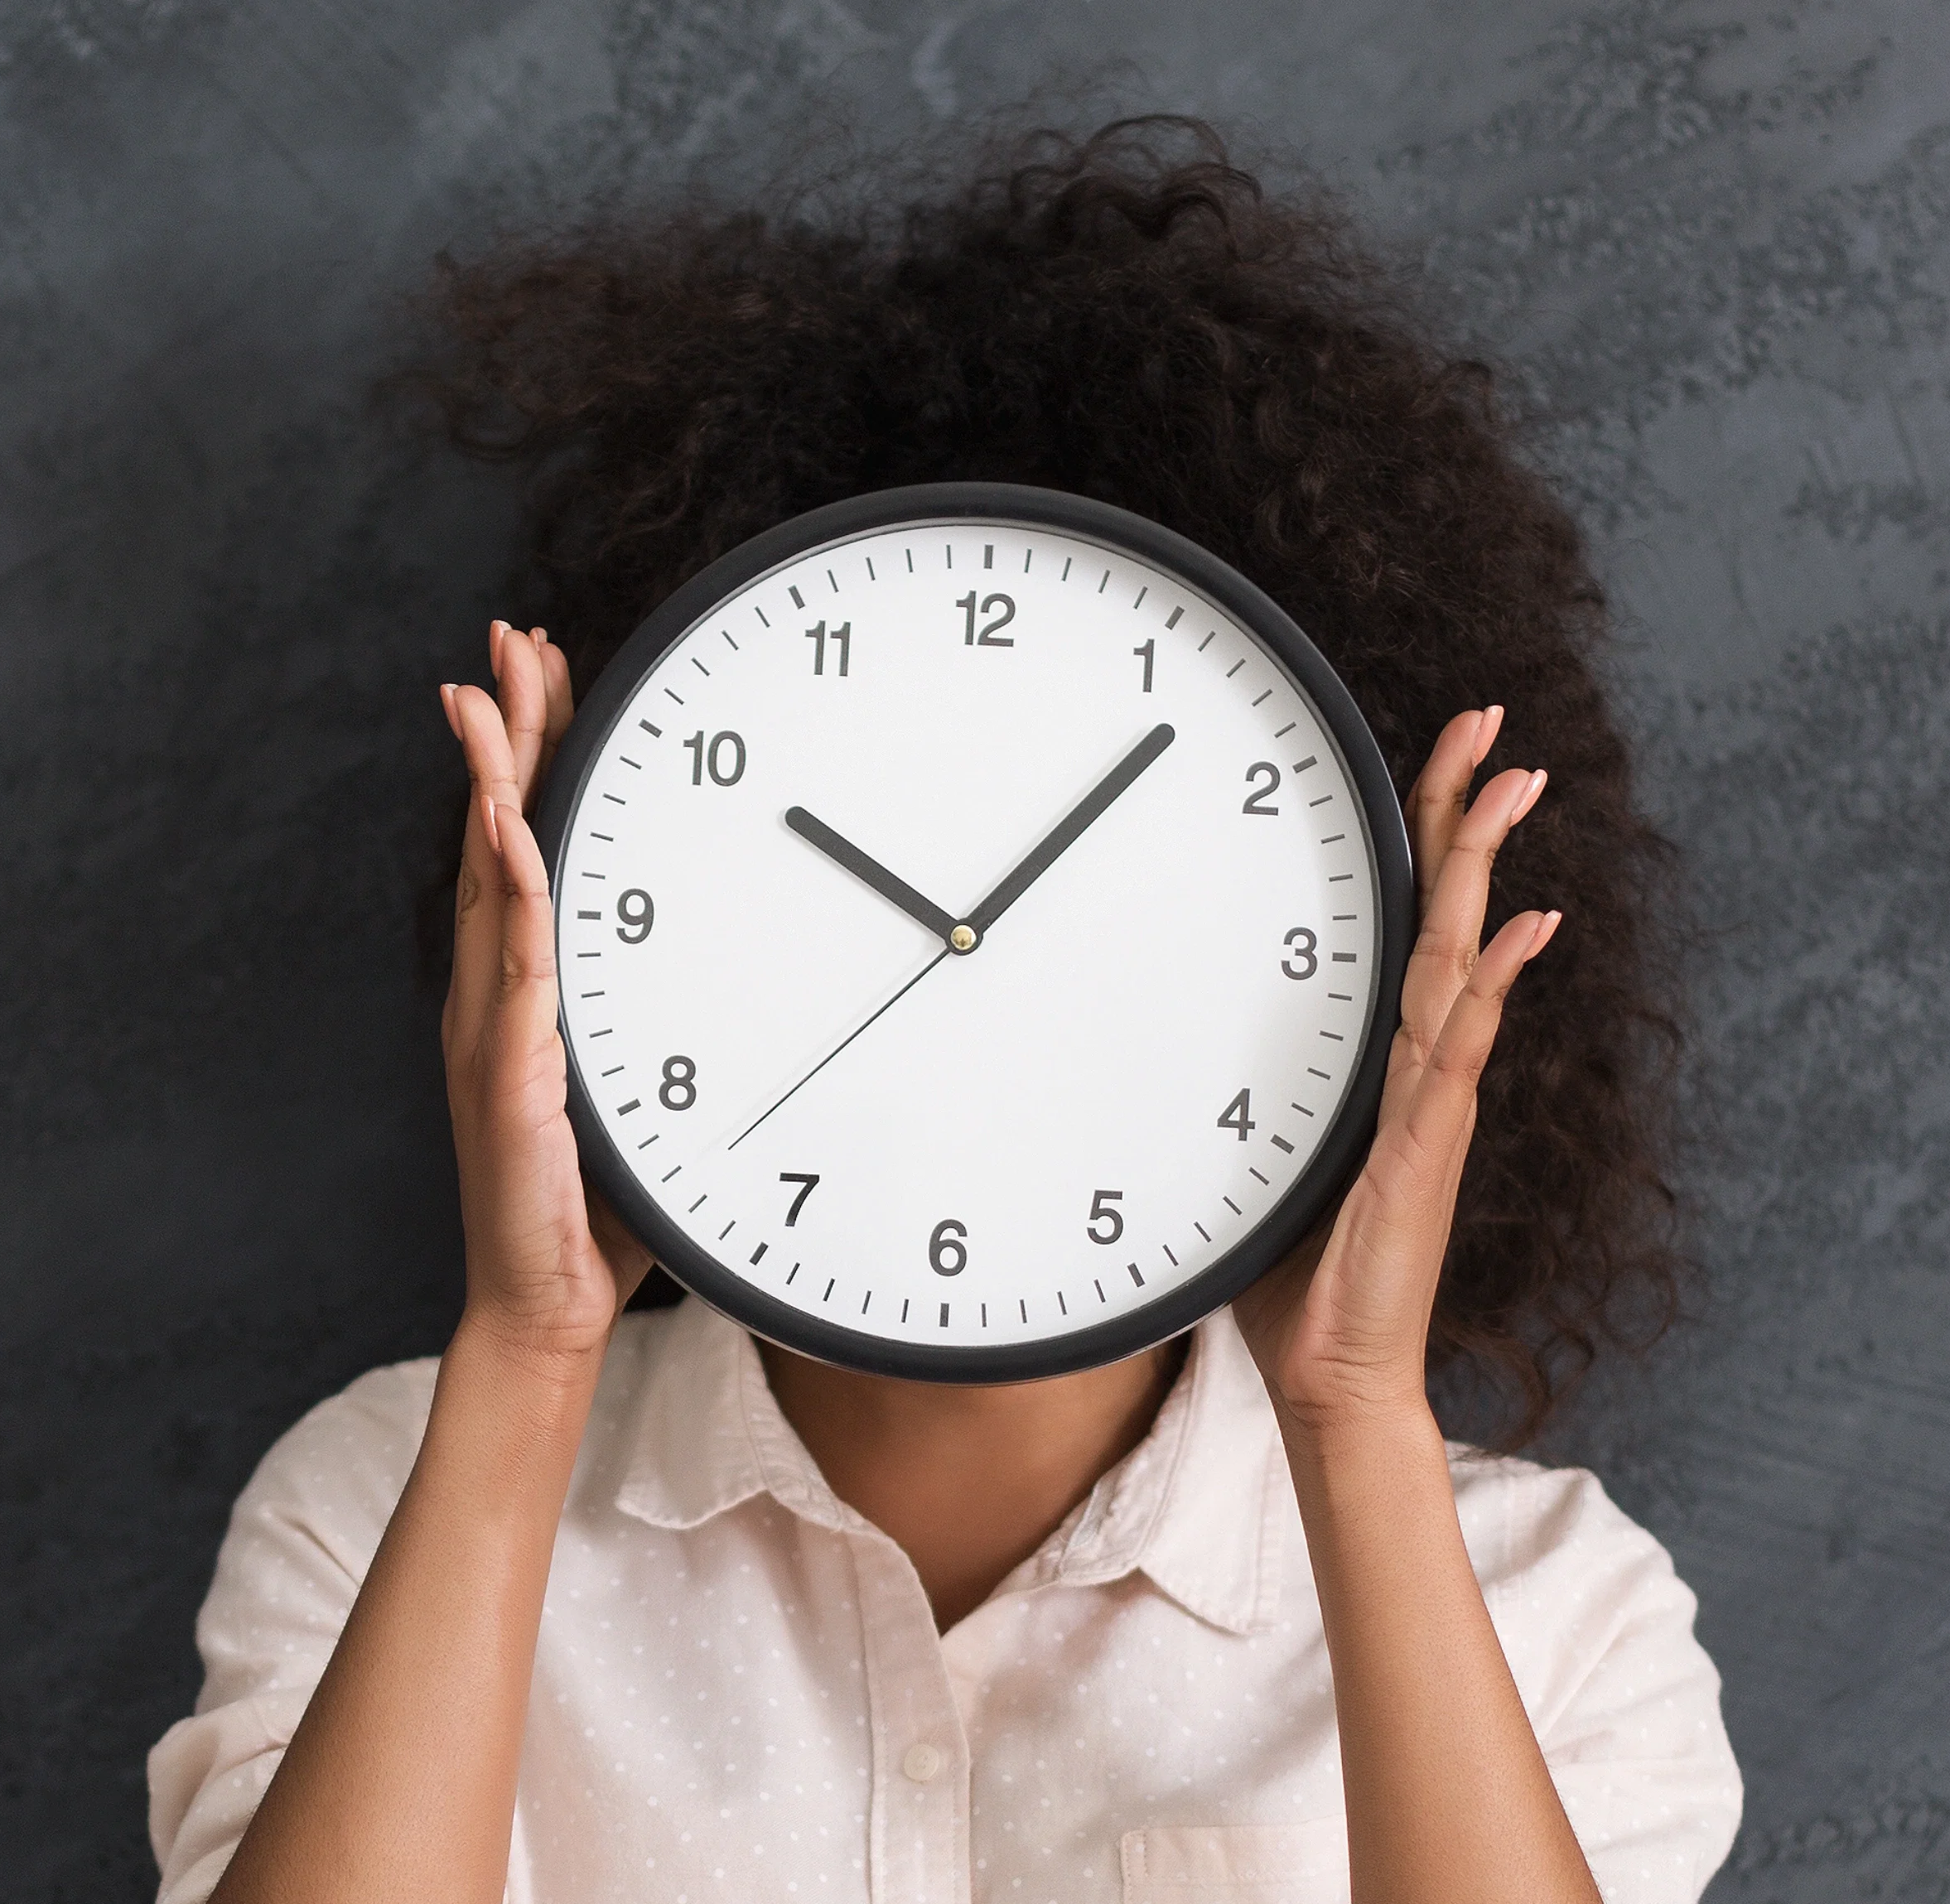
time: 10:07
